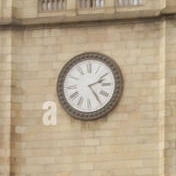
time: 2:24
